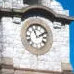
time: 11:10
